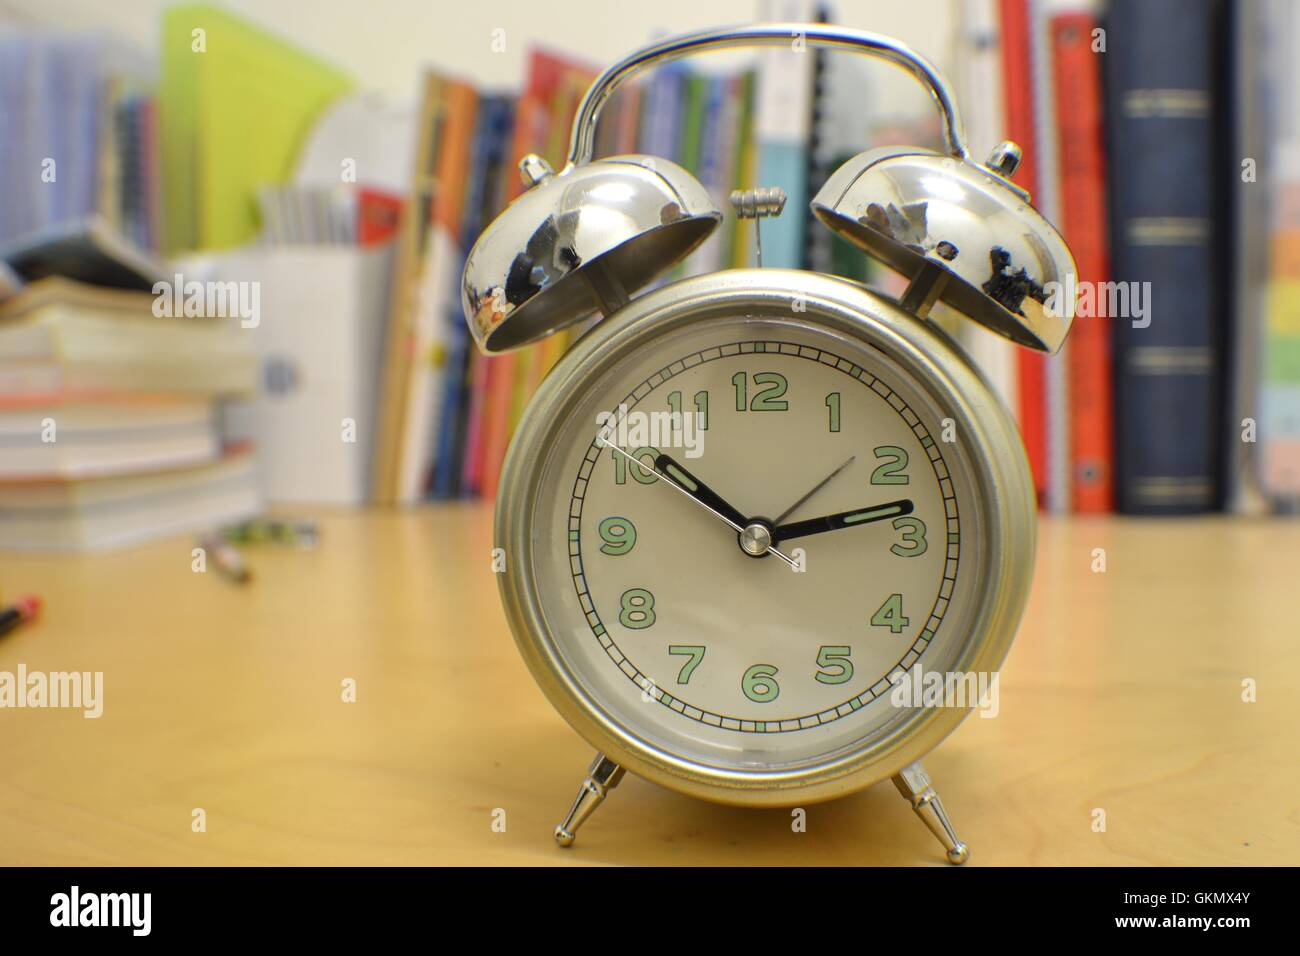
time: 10:13
